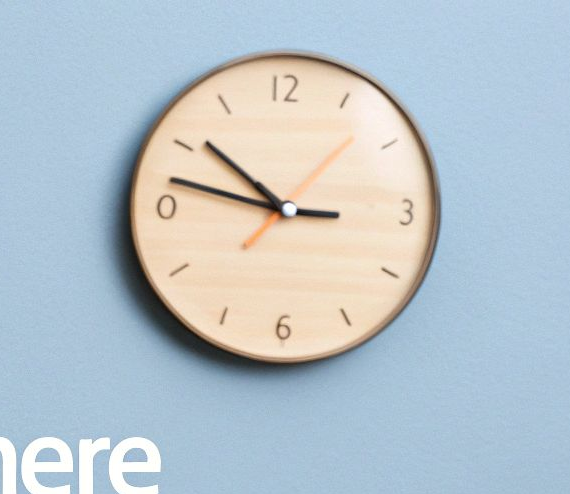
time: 10:15
